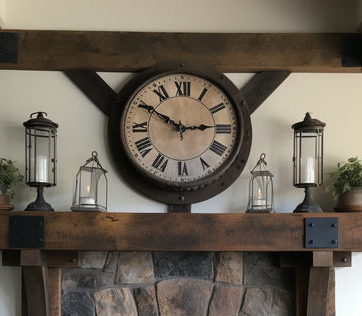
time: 2:50
